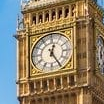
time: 12:24
